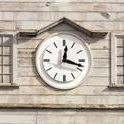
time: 12:17
